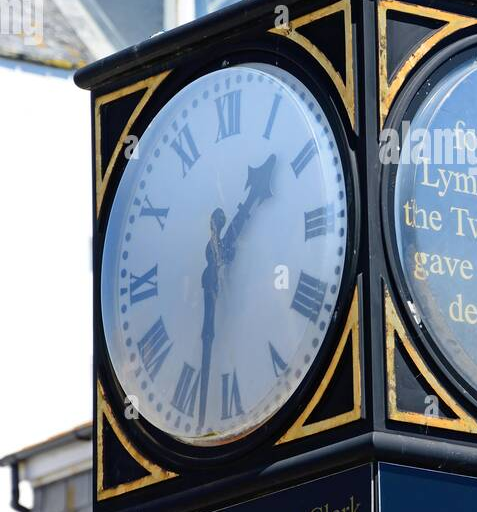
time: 1:32
